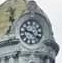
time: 9:22
